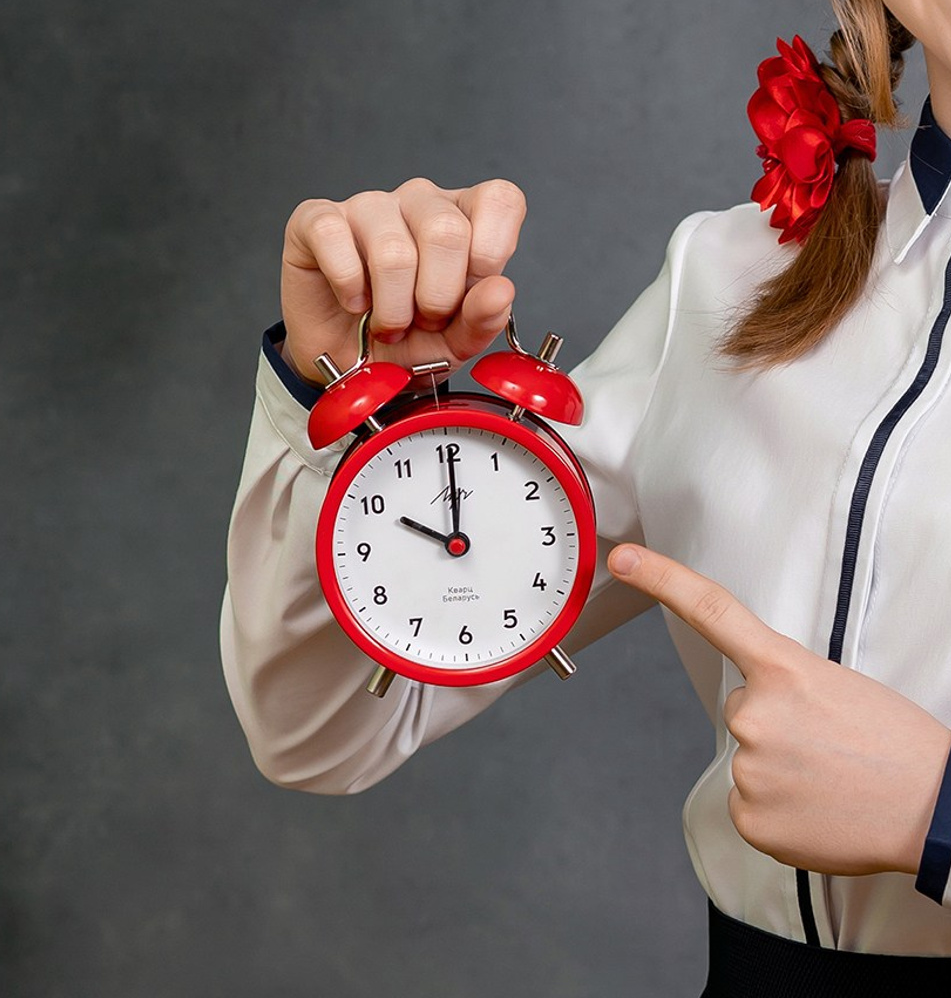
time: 10:00
